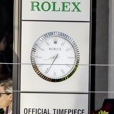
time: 8:34
